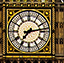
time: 7:13
